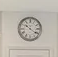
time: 10:21
